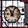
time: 11:04
